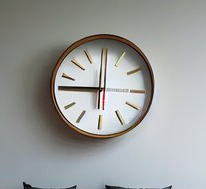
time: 9:00
